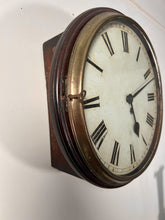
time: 5:11
